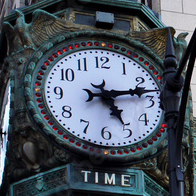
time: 5:12
